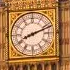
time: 8:11
